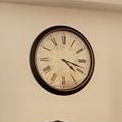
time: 4:17
